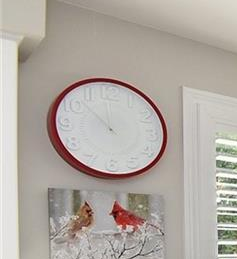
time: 11:52
